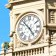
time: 4:52
